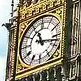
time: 11:17
